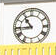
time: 10:44
